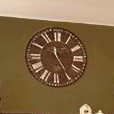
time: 11:24
